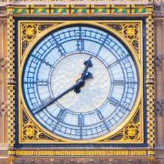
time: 12:39
